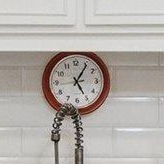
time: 5:05
